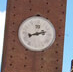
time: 8:12
